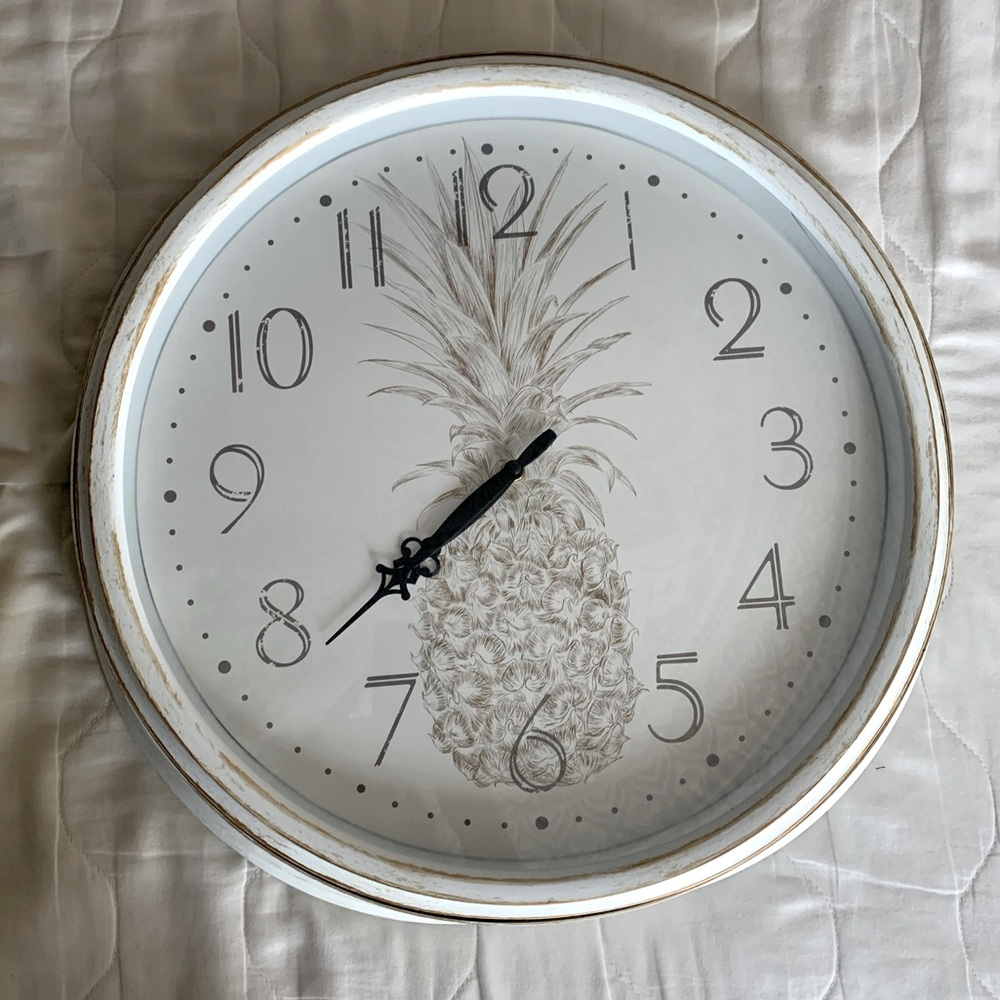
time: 7:38
